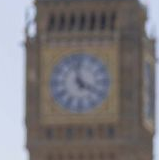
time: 3:58
